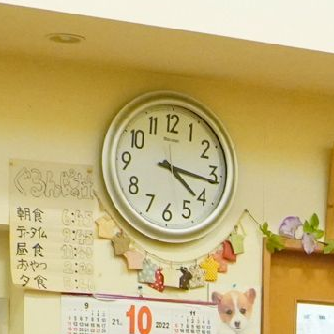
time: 4:16
